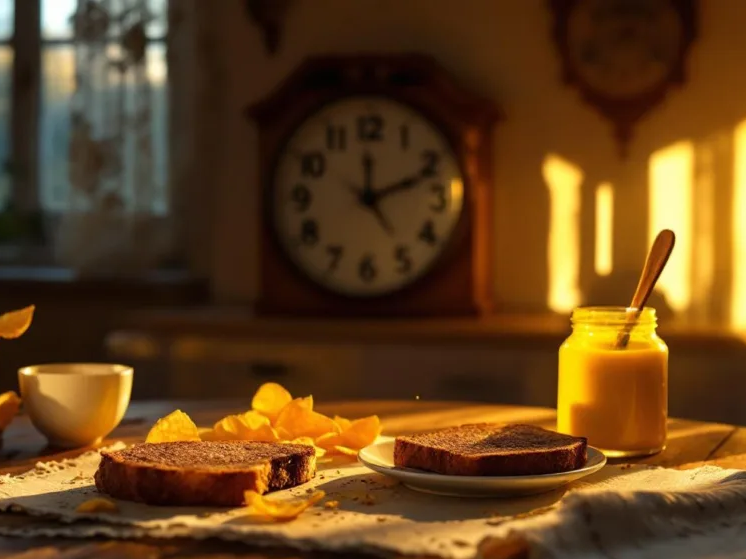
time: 12:11
